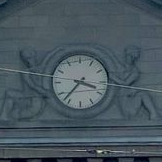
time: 3:37
